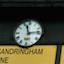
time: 11:13
